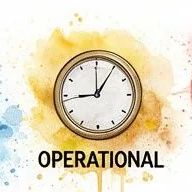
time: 8:59
